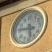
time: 5:46
